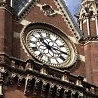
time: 10:15
